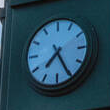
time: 7:25
